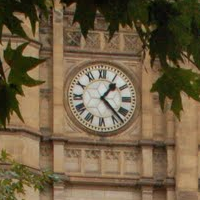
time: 1:22
